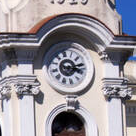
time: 4:14
